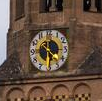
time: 4:30
